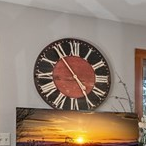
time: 4:54
